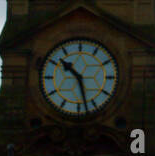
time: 10:27
